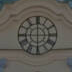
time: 5:59
